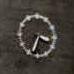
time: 3:34
